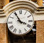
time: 3:55
